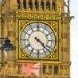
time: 4:22
